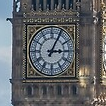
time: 3:04
